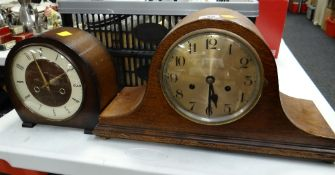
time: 5:30
